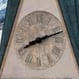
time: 8:12
